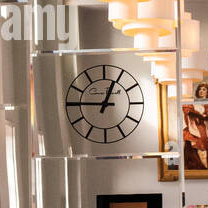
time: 12:45
